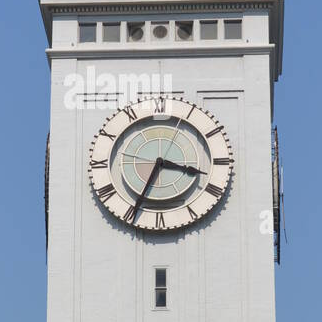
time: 3:34
